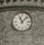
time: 11:07
